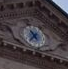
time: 10:36
